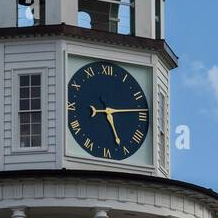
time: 5:13
